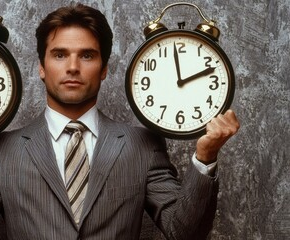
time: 1:58
